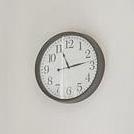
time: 11:13
